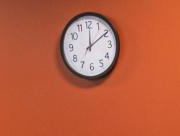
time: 12:09
